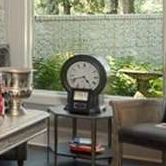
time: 4:42
